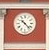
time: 10:22
